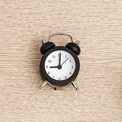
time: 9:01
